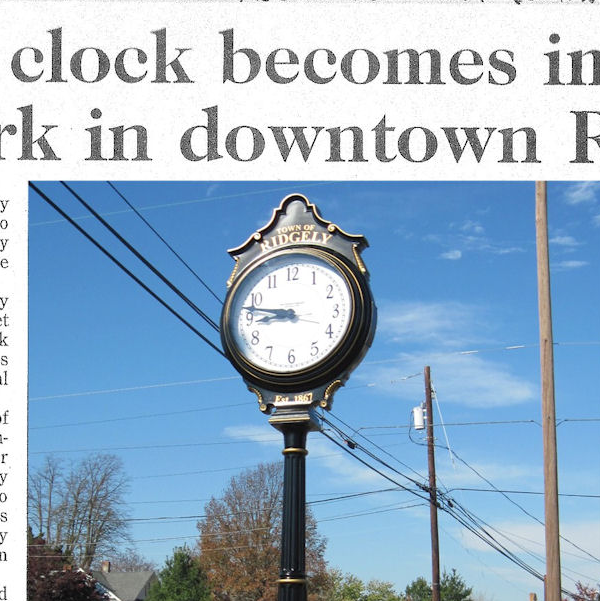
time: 8:47
